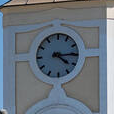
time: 4:14
